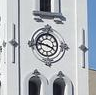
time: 3:46
